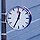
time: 12:34
